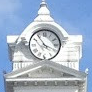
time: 3:54
